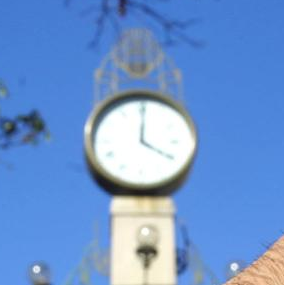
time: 4:00
